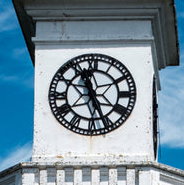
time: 11:26
